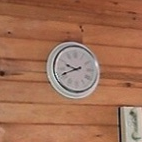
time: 9:41
